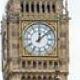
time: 12:08
